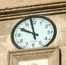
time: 9:57
